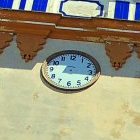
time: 3:16
